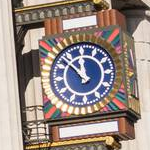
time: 11:52
